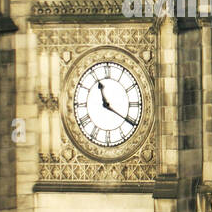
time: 11:20
